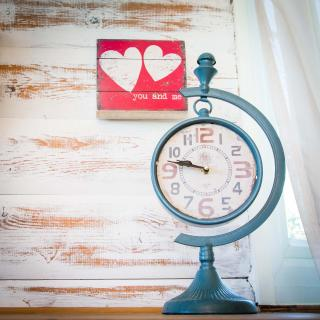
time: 9:47
